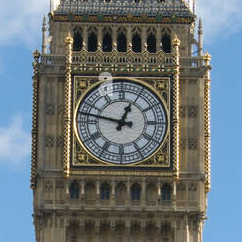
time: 12:47
